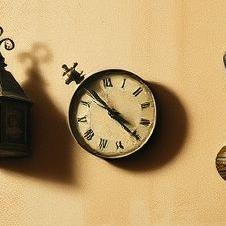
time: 4:54
